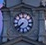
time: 7:38
